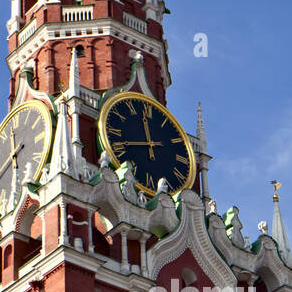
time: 11:41
